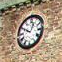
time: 12:49
